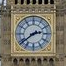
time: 2:38
